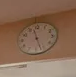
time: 11:26
